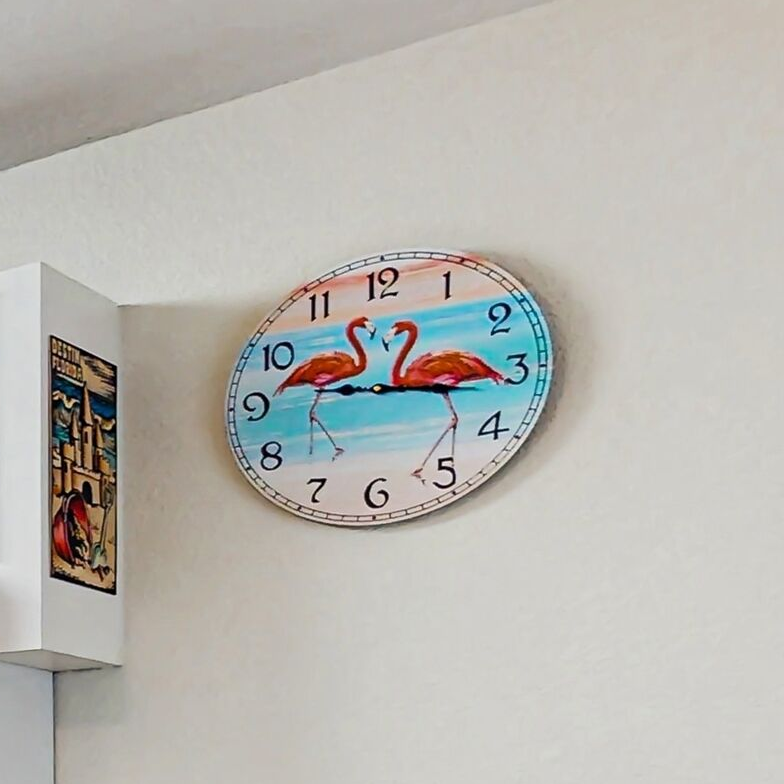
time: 9:16
